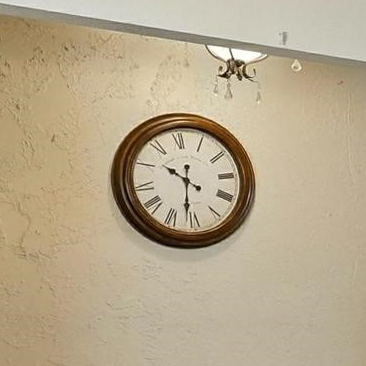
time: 10:31
